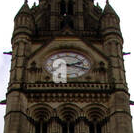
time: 2:18
